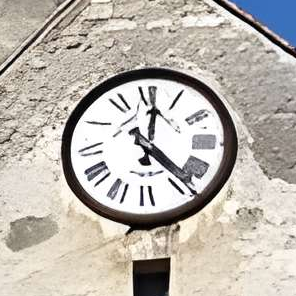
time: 12:22
